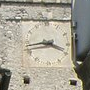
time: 3:43
